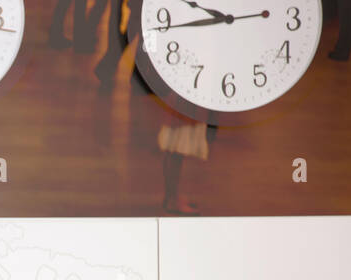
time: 9:43
